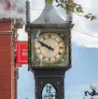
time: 9:50
